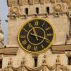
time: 11:18
